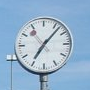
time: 7:07
